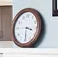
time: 3:29
